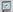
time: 8:37
